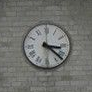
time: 3:22
